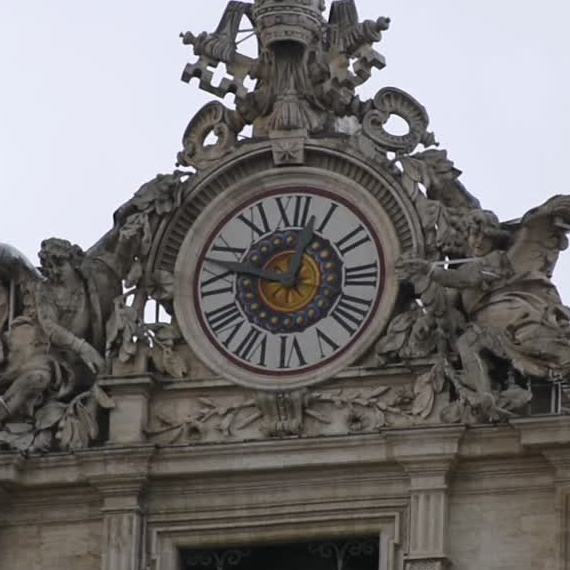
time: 12:47
